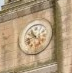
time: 10:42
